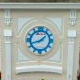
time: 1:41
